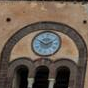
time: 1:49
